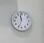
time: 11:33
